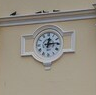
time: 12:14
